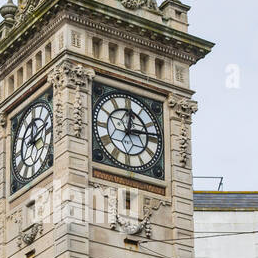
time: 12:13
